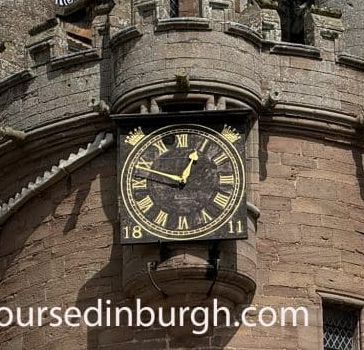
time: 12:48
